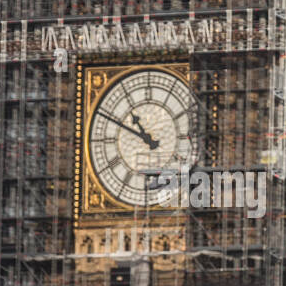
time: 10:49
